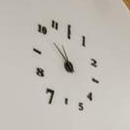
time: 10:51
